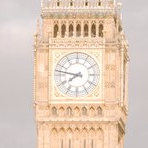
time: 7:46
